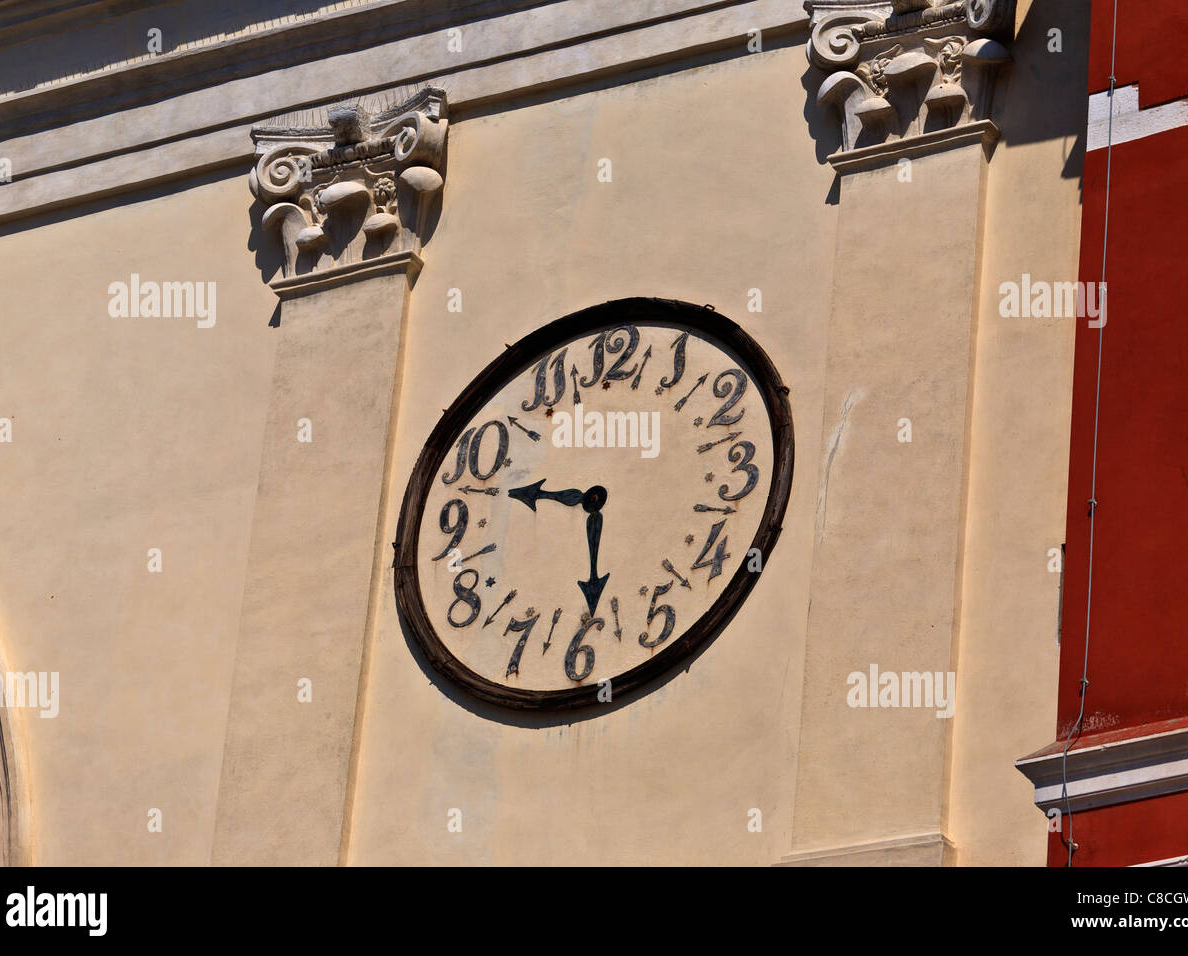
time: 9:29
